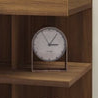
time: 3:06
